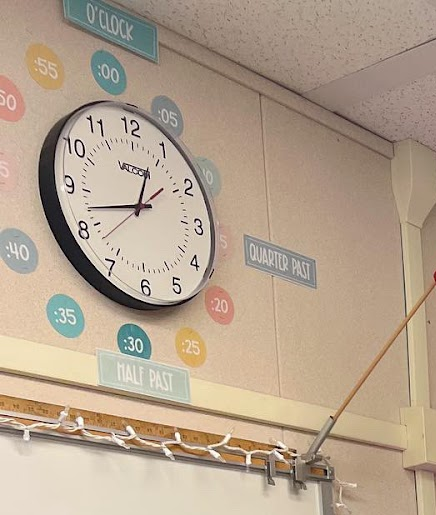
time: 12:42
